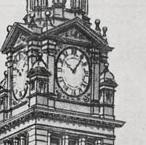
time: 10:07
